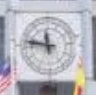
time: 11:46
